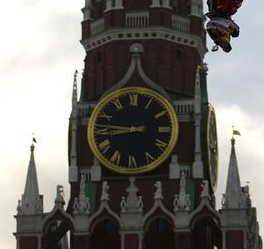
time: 8:46
